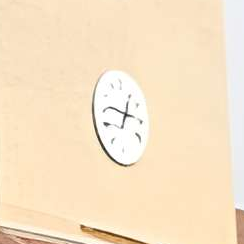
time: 12:46
